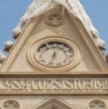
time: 12:32
